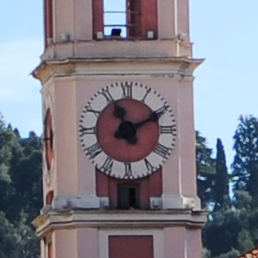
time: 11:10
